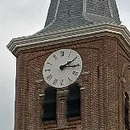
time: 2:15
